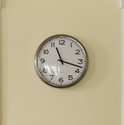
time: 11:17
